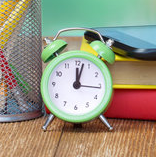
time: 12:02
